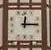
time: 12:14
